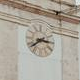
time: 2:38
